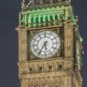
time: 5:35
